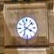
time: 4:07
